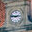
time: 2:46
